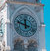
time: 11:48
